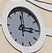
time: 2:58
